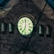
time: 7:00
